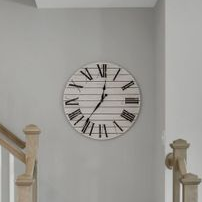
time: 7:01
